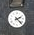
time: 2:22
